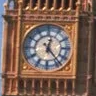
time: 12:23
